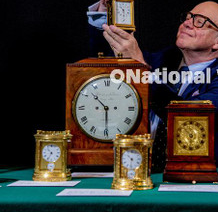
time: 10:29
